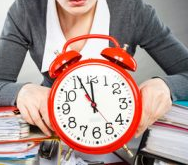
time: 11:55
